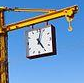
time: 5:02
